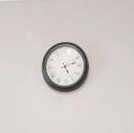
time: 5:12
